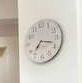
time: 7:17
